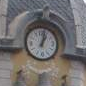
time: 1:02
